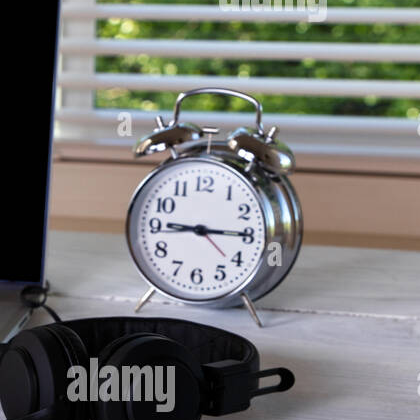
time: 9:15
